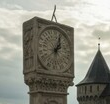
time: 1:02
